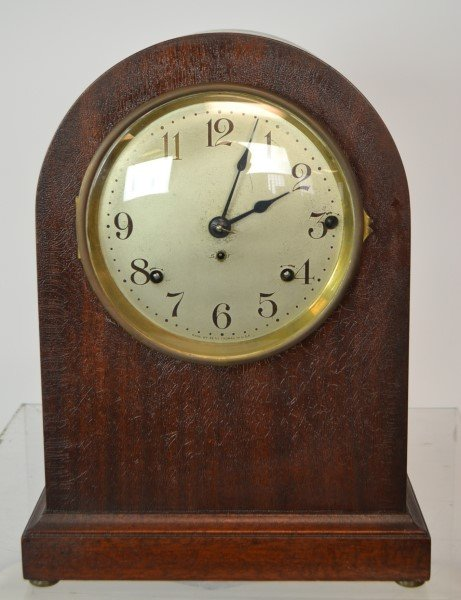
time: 2:03
